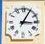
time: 3:04
